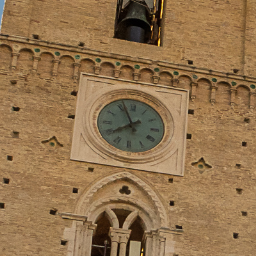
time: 7:56
